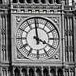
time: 3:58
